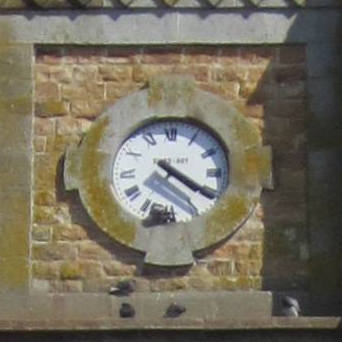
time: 4:20
